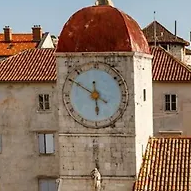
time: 5:50
